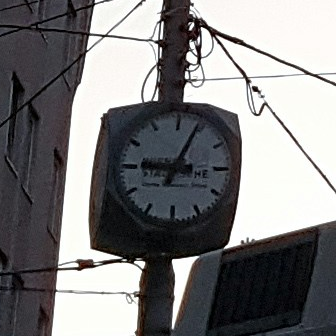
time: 9:04
